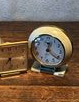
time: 12:21
